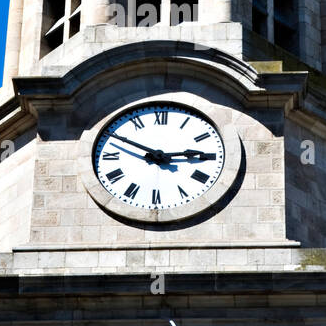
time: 2:49
